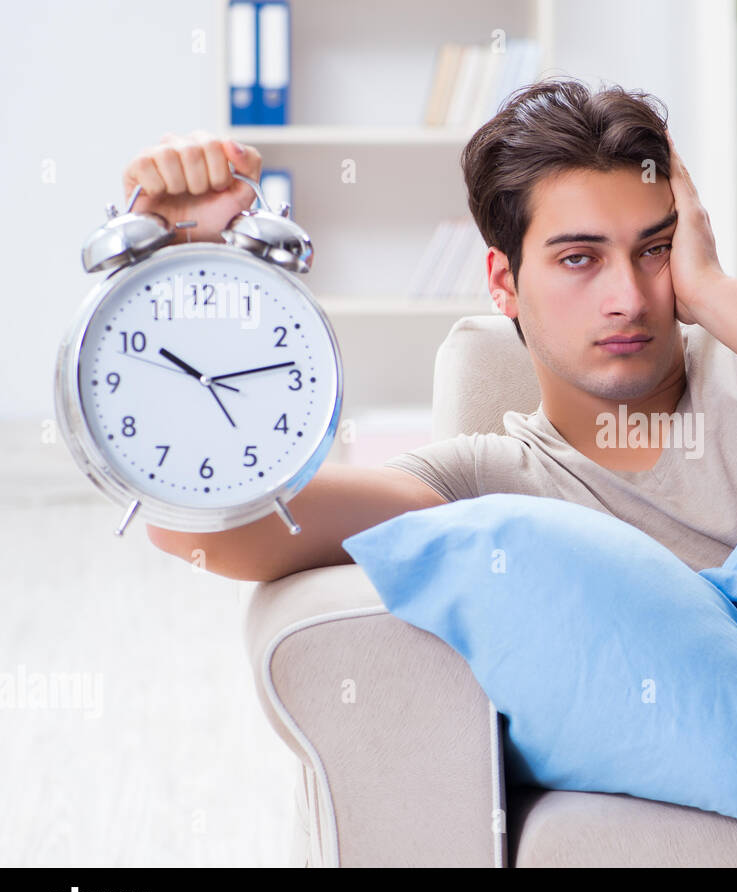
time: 10:13
